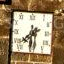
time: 7:30
